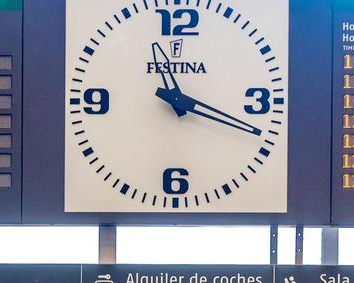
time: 11:18
